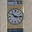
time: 10:15
